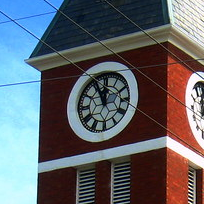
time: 11:55
